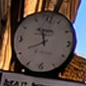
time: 11:40
